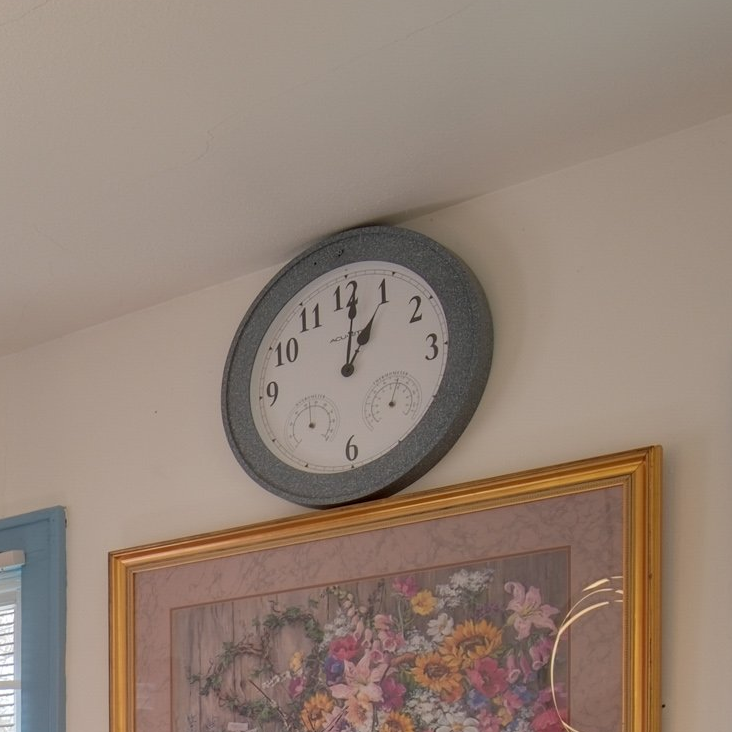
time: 1:01
